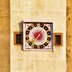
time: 7:37
